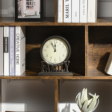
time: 11:55
